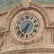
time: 7:33
